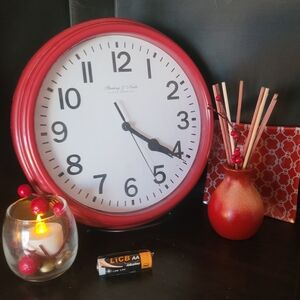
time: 4:20
